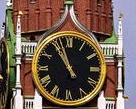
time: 10:56
